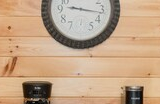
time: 9:16
